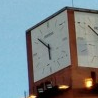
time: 5:51
